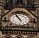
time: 10:56
